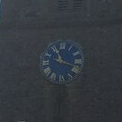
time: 11:18
